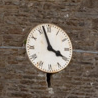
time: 3:57
